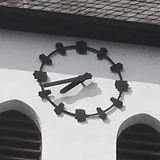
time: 7:42
